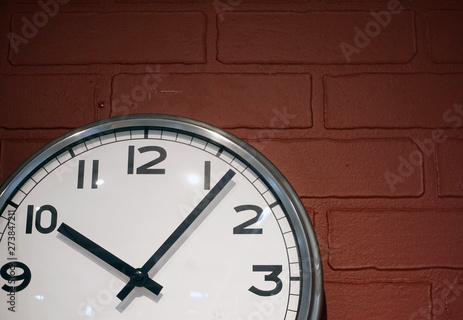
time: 10:06
